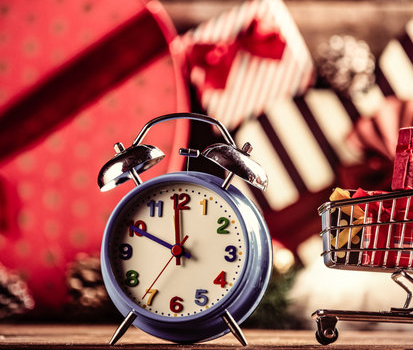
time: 11:49
